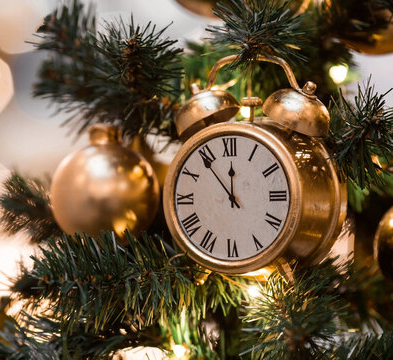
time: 11:53
